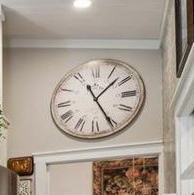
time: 1:25
